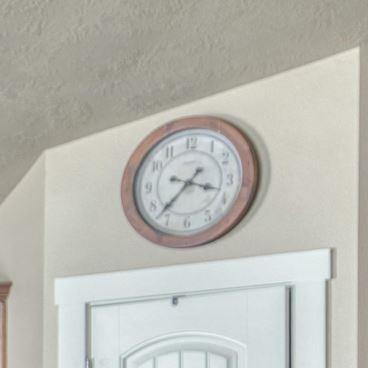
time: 3:37
